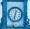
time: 12:32
